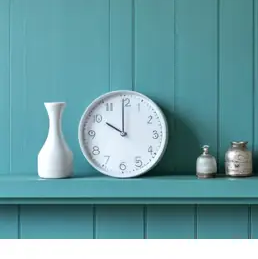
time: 10:00
